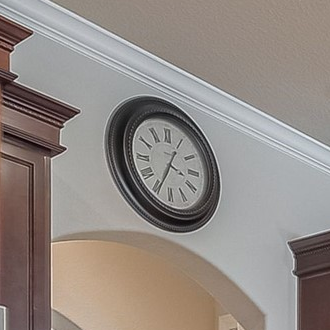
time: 3:34
